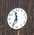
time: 11:35
